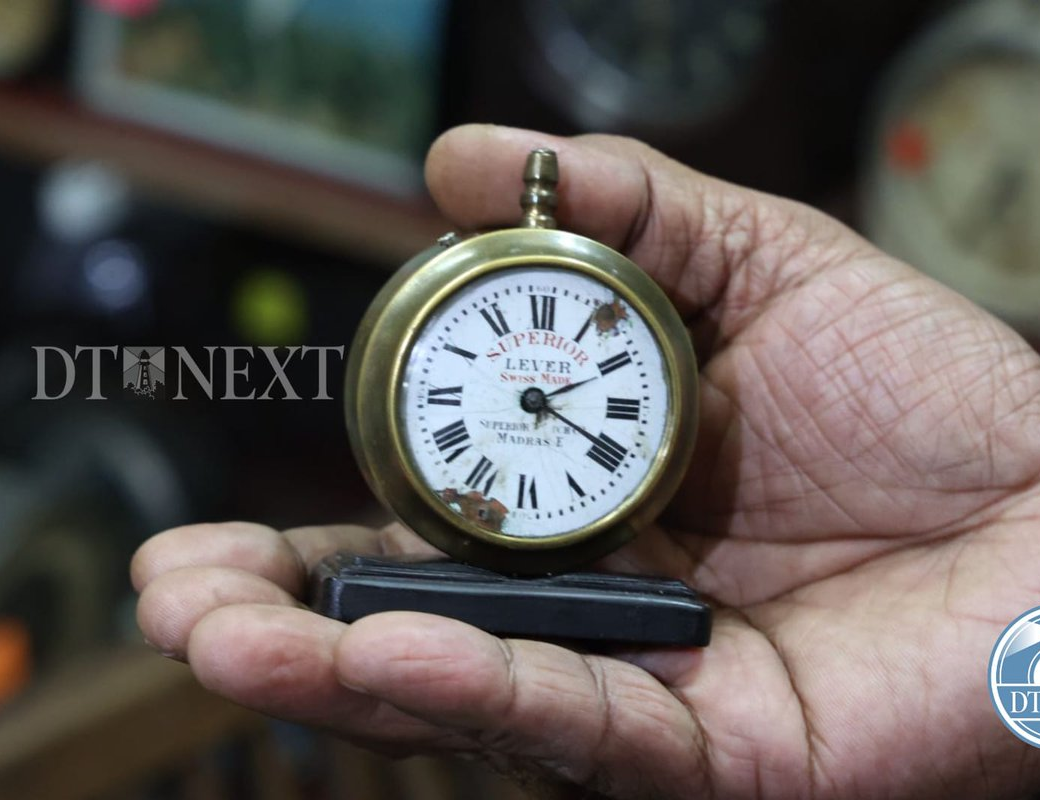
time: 2:19
